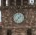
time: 1:37
